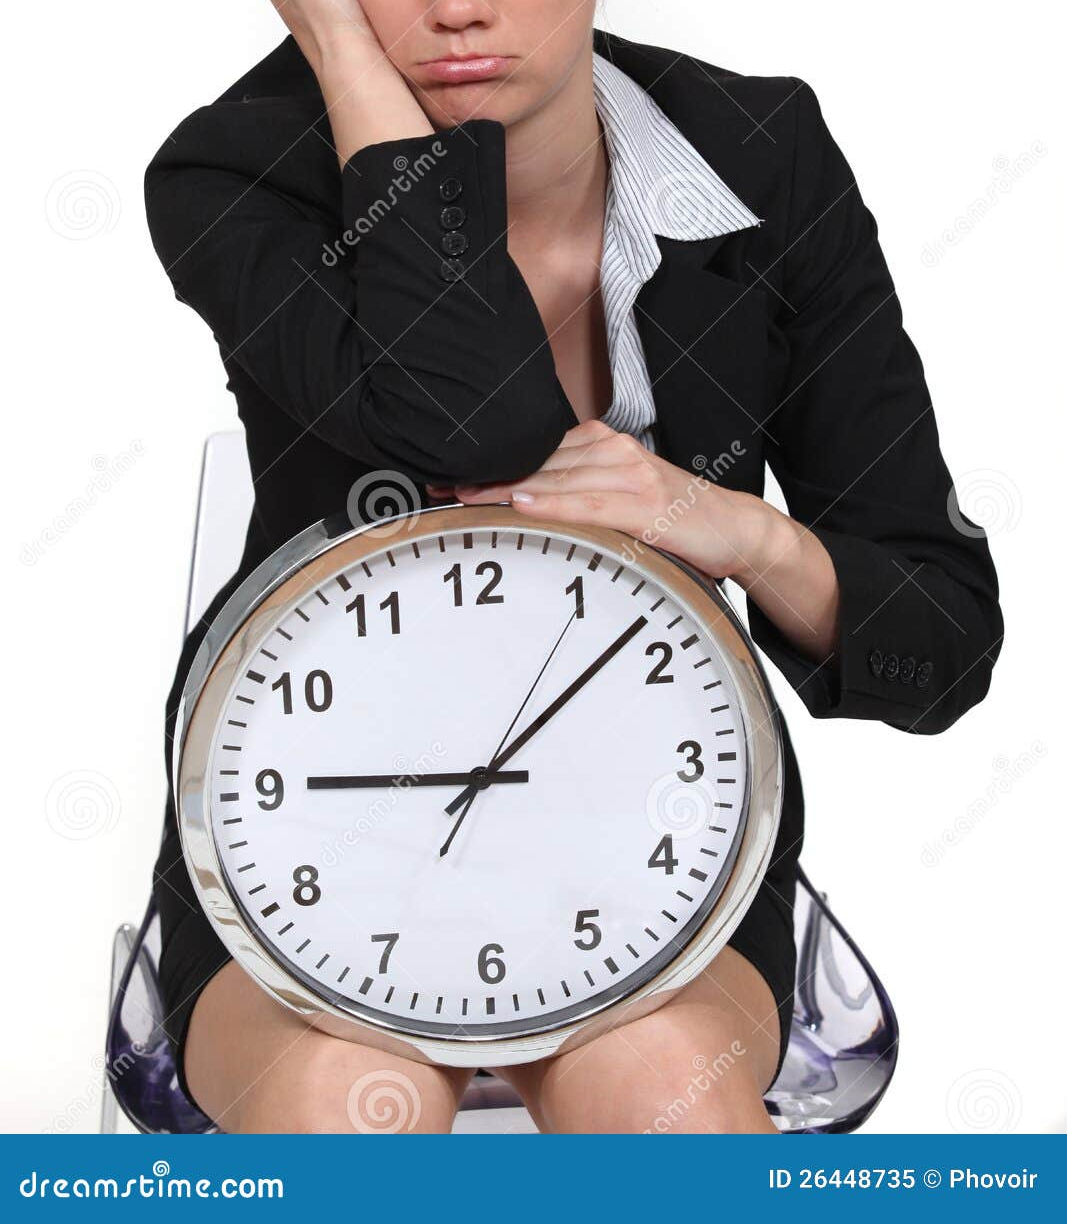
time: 9:08
